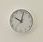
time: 10:02
